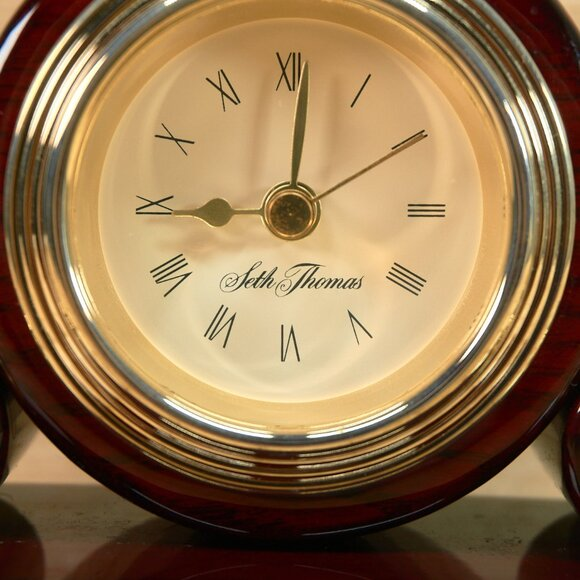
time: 9:01
